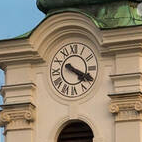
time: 4:19
